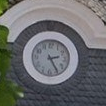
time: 2:24
